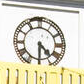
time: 4:29
